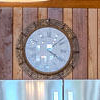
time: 4:08
